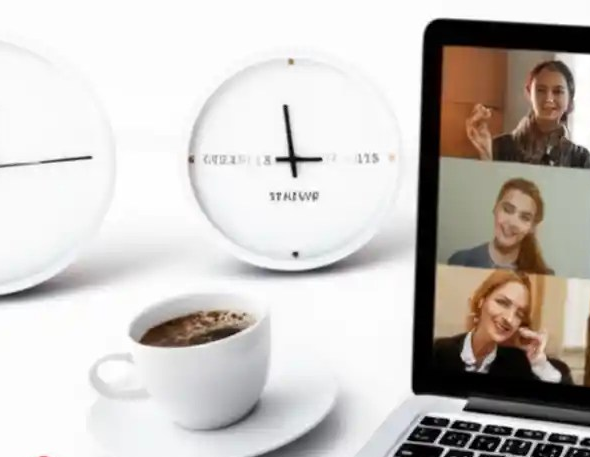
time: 11:45
